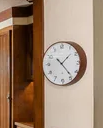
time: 1:23
